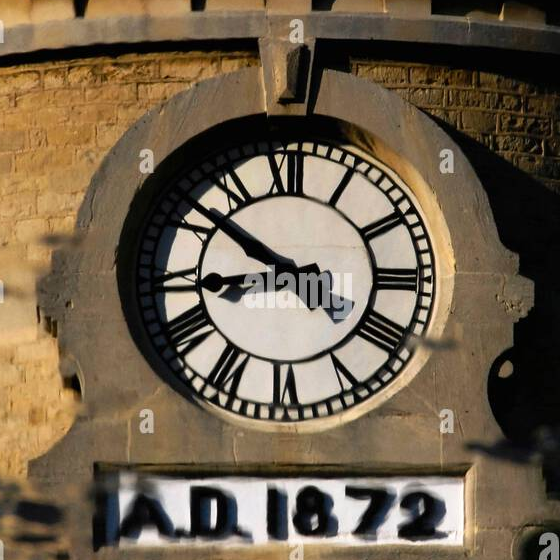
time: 8:51
